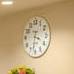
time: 3:32
